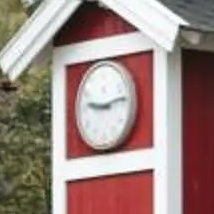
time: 9:13
